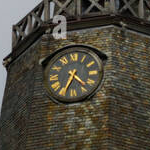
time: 4:34
